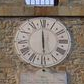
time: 5:59
